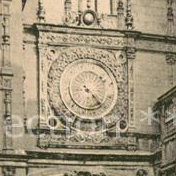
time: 4:22
